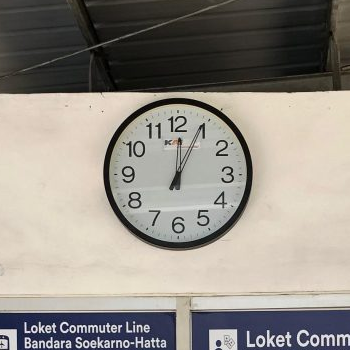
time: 12:04
